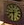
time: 8:30
